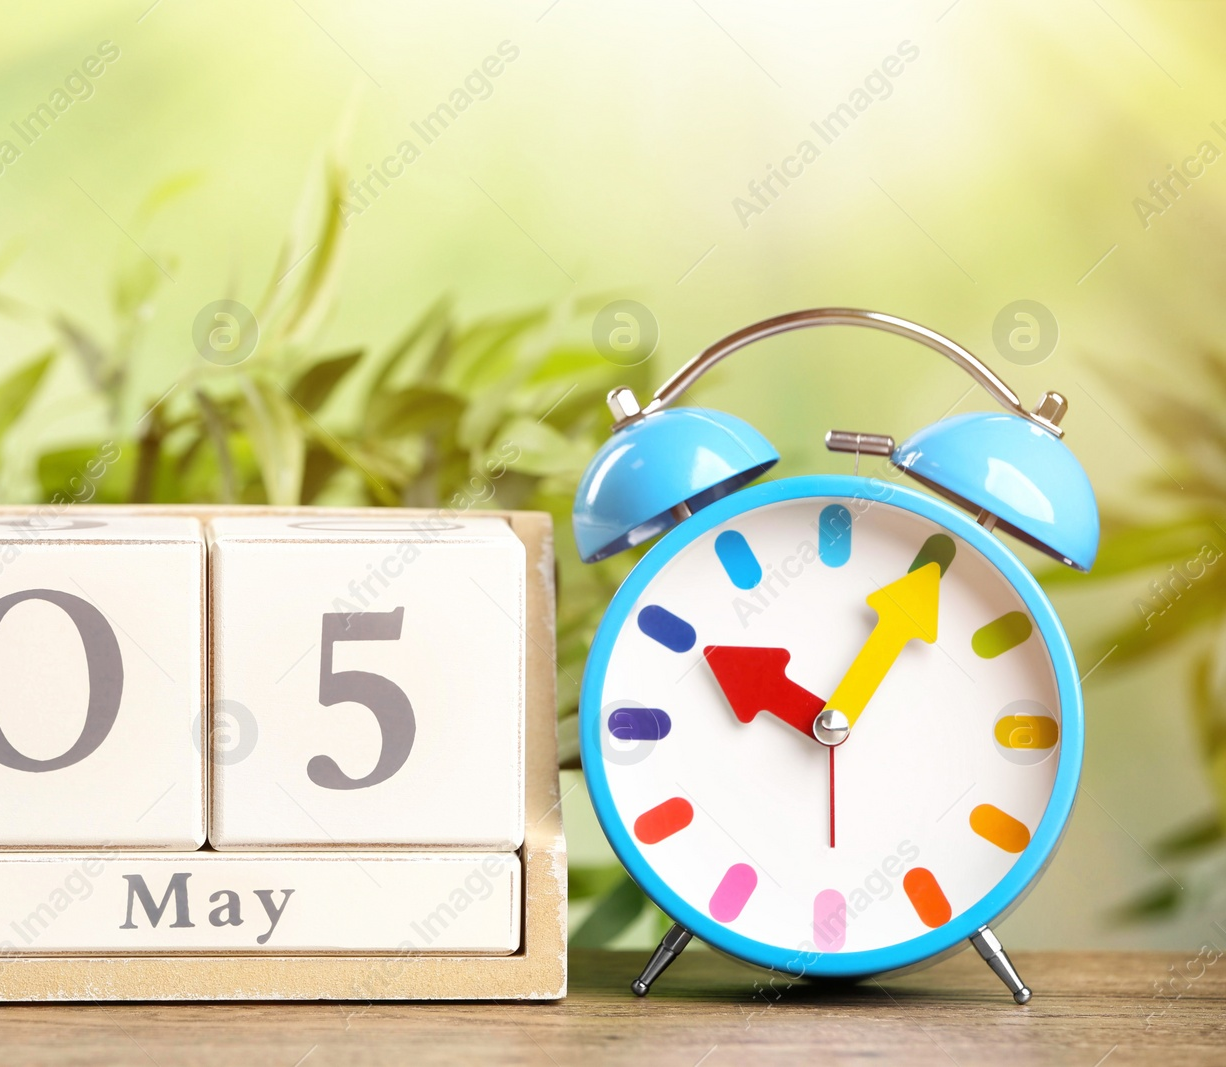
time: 10:05
